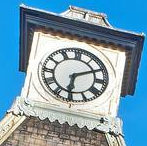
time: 6:10
